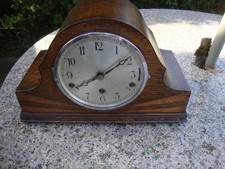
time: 8:09
